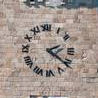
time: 2:21
